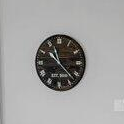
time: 11:22
